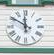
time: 11:50
